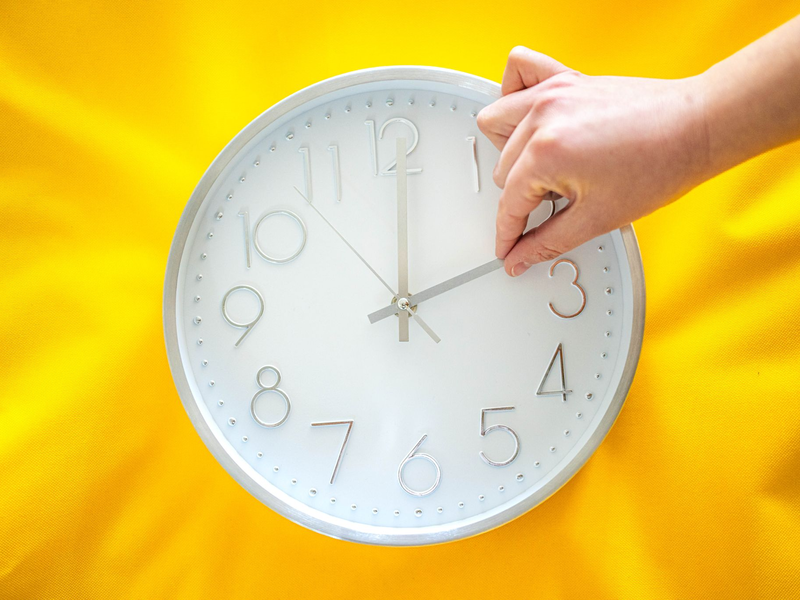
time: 12:11
